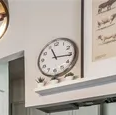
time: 11:15
